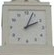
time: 2:03
